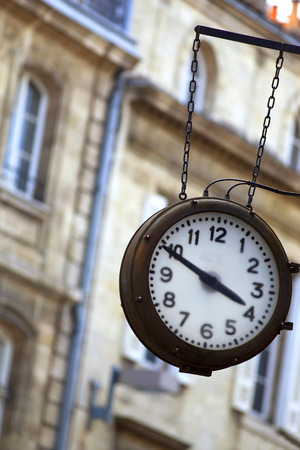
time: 3:49
